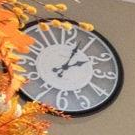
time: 2:03
